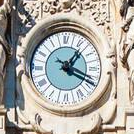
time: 1:19
